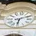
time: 6:10
